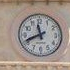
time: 11:41
